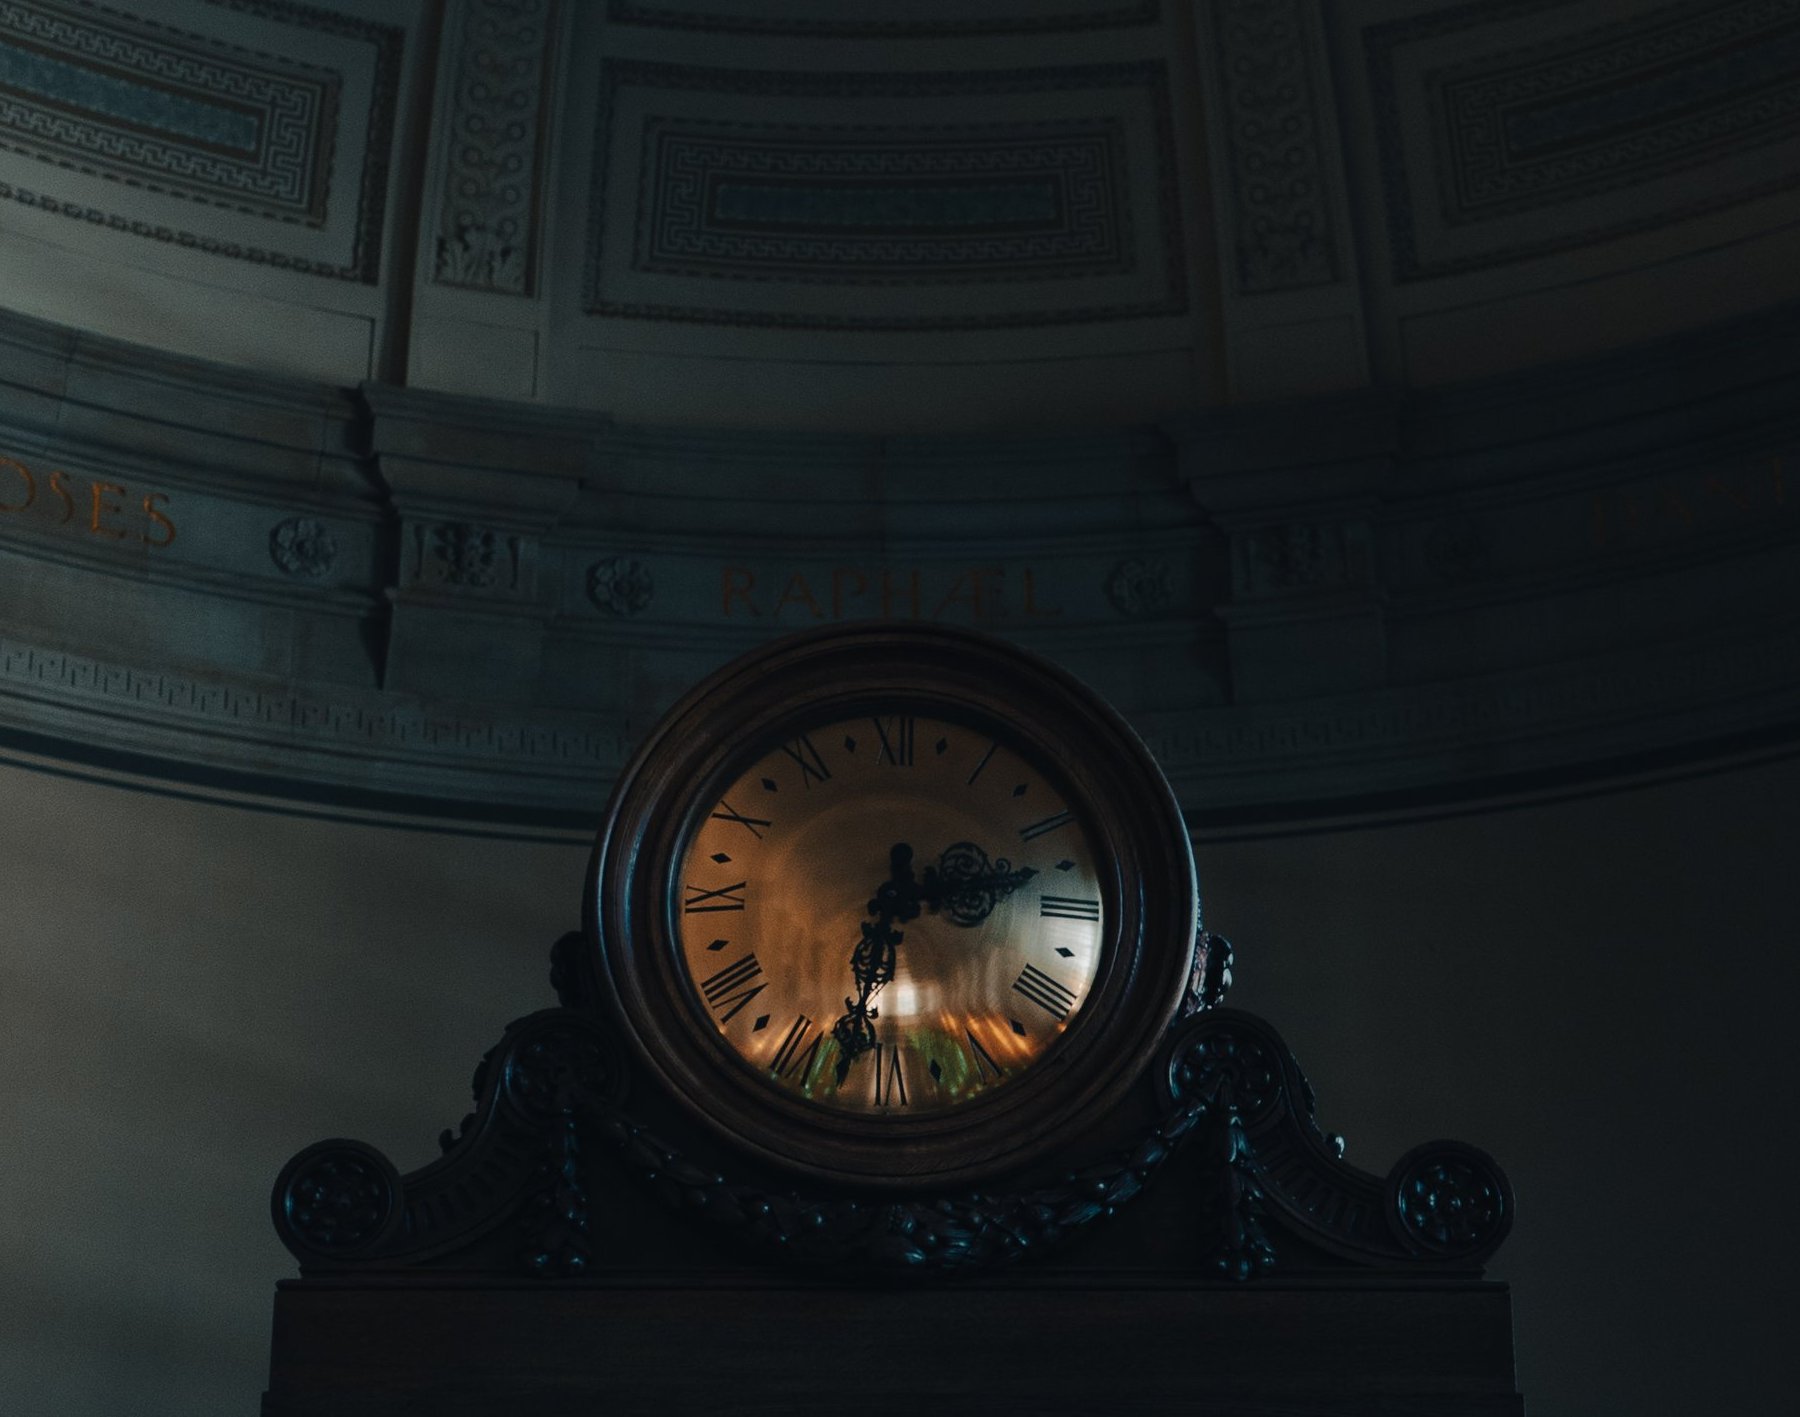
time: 2:32
